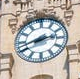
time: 2:42
